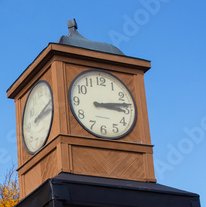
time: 3:13
